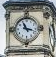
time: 11:17
